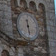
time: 11:28
